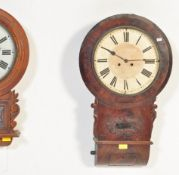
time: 2:50
